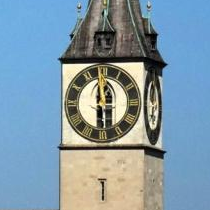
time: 5:59
